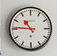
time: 10:45
